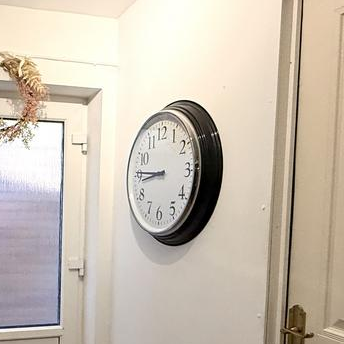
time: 8:45
